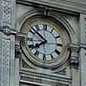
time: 7:51
